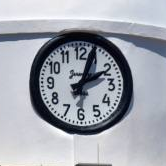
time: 2:03
